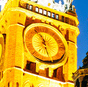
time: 11:28
